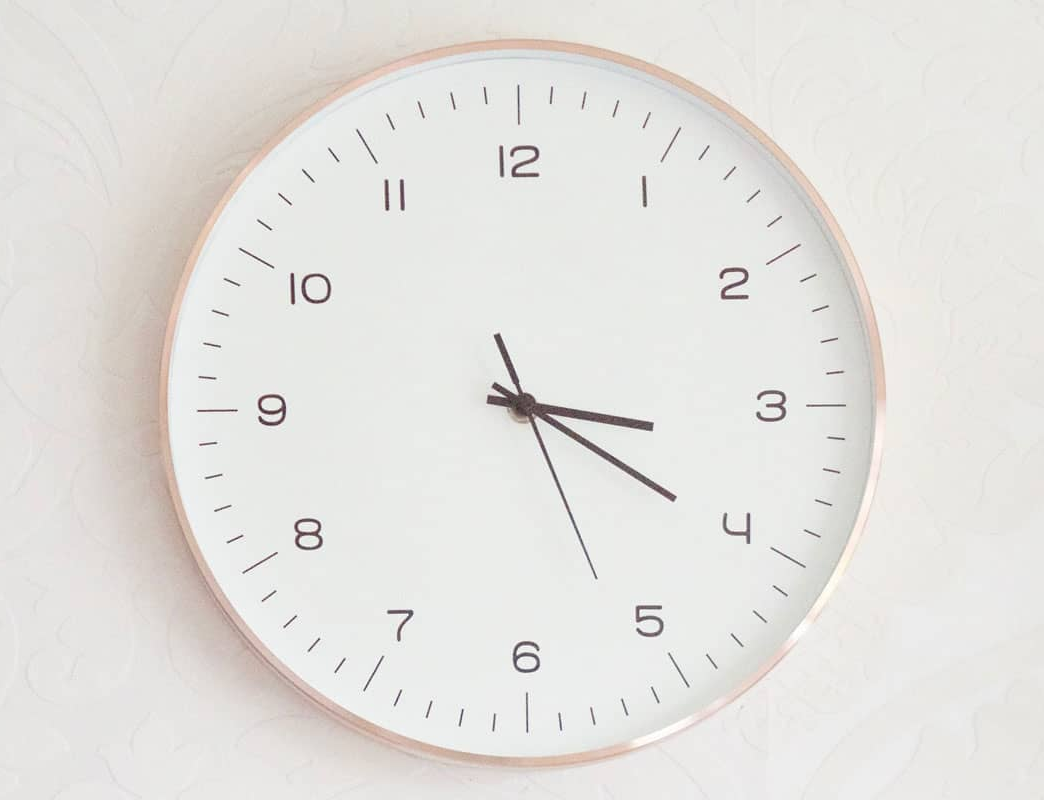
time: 3:20
